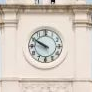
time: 9:50
